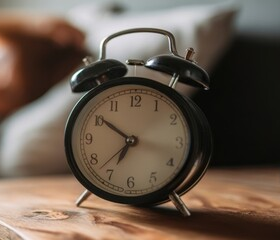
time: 6:51
